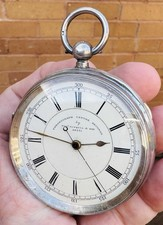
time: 2:46
